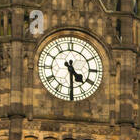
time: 4:29
